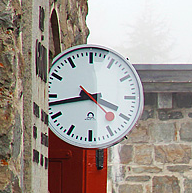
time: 3:43
